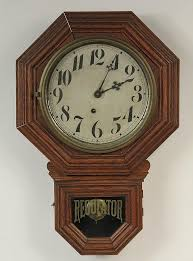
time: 2:04
